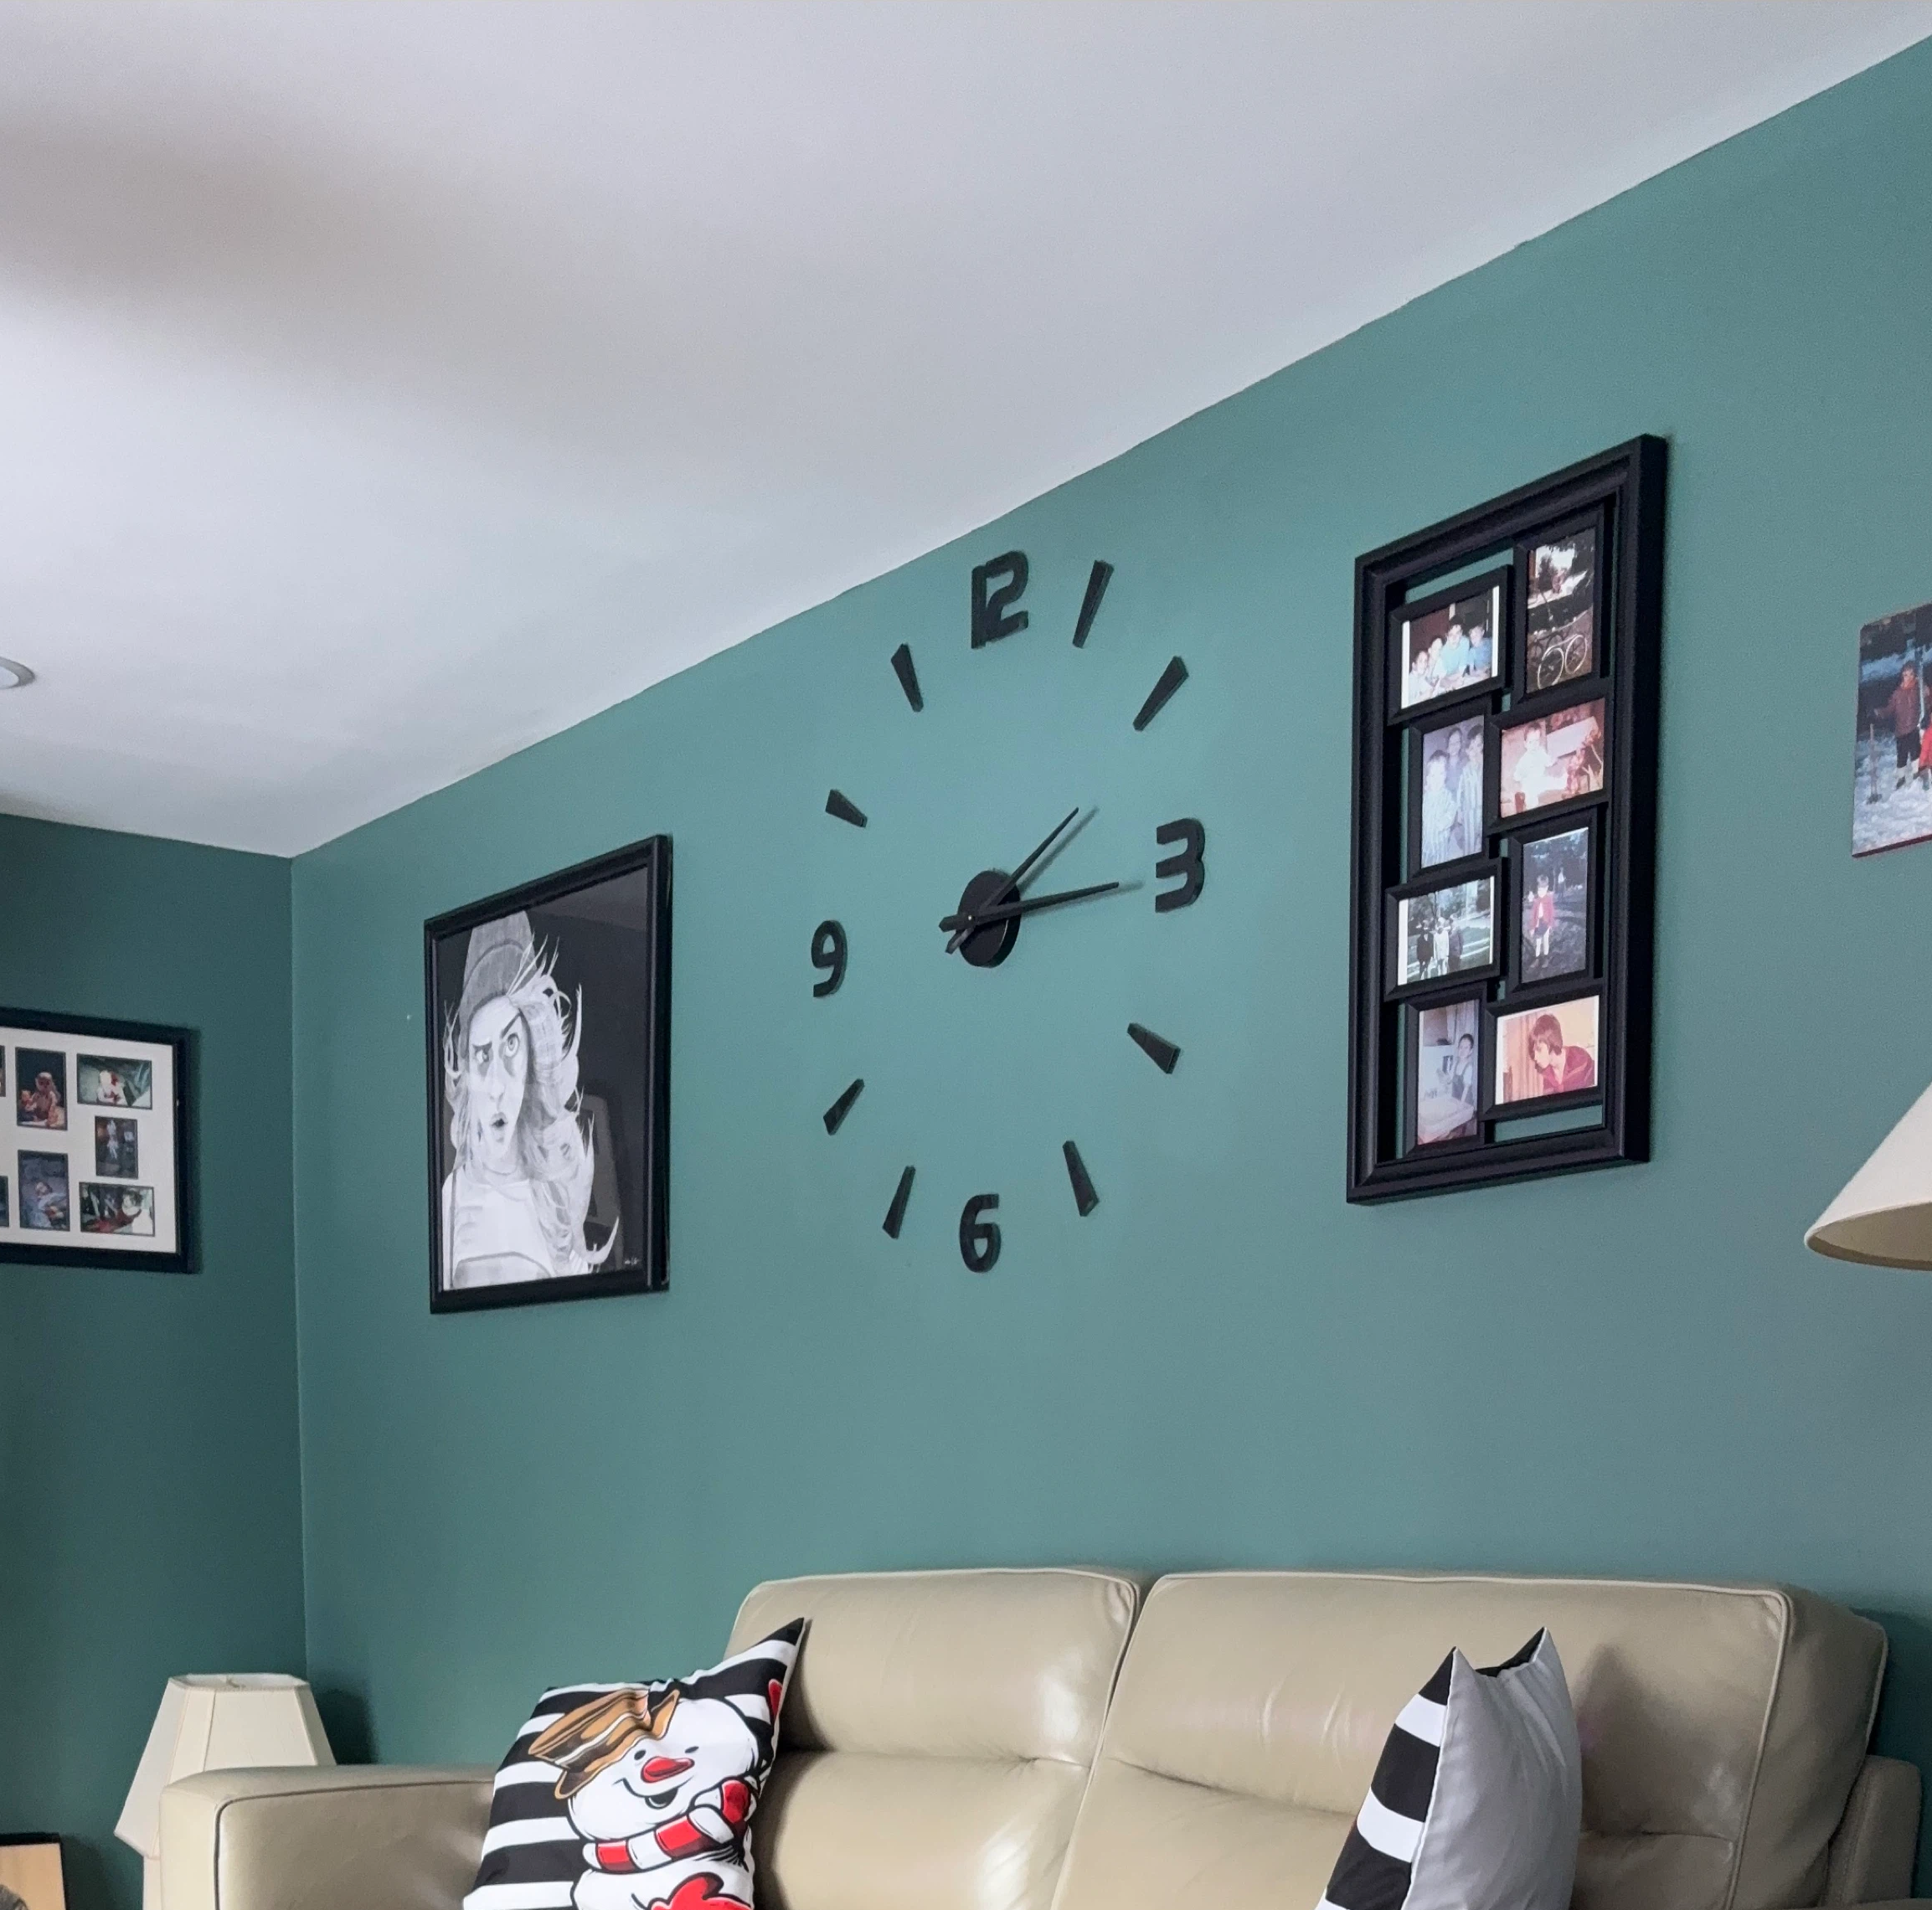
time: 2:15
